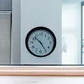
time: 10:24
